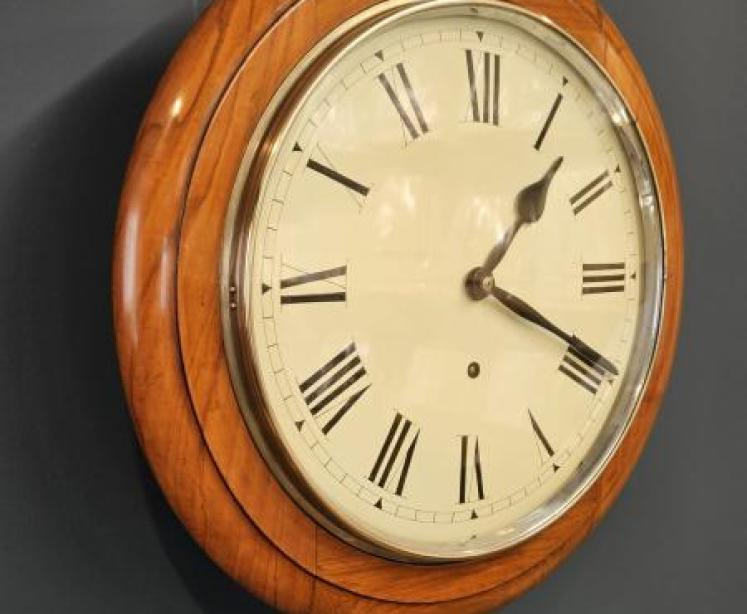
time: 1:19
